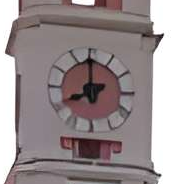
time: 7:59
